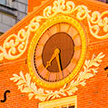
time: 7:27
